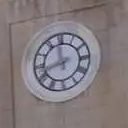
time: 11:42
